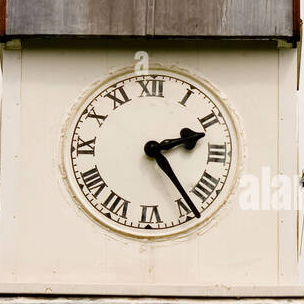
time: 2:23
